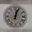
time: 12:03
